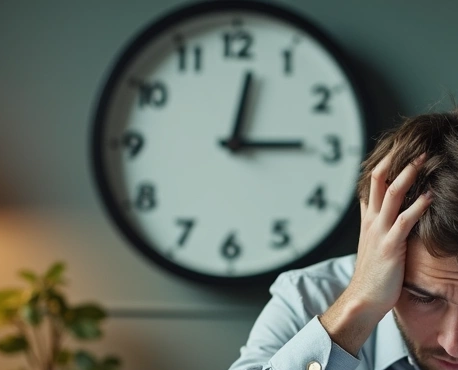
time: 12:14
